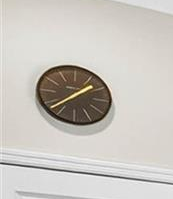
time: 1:37
